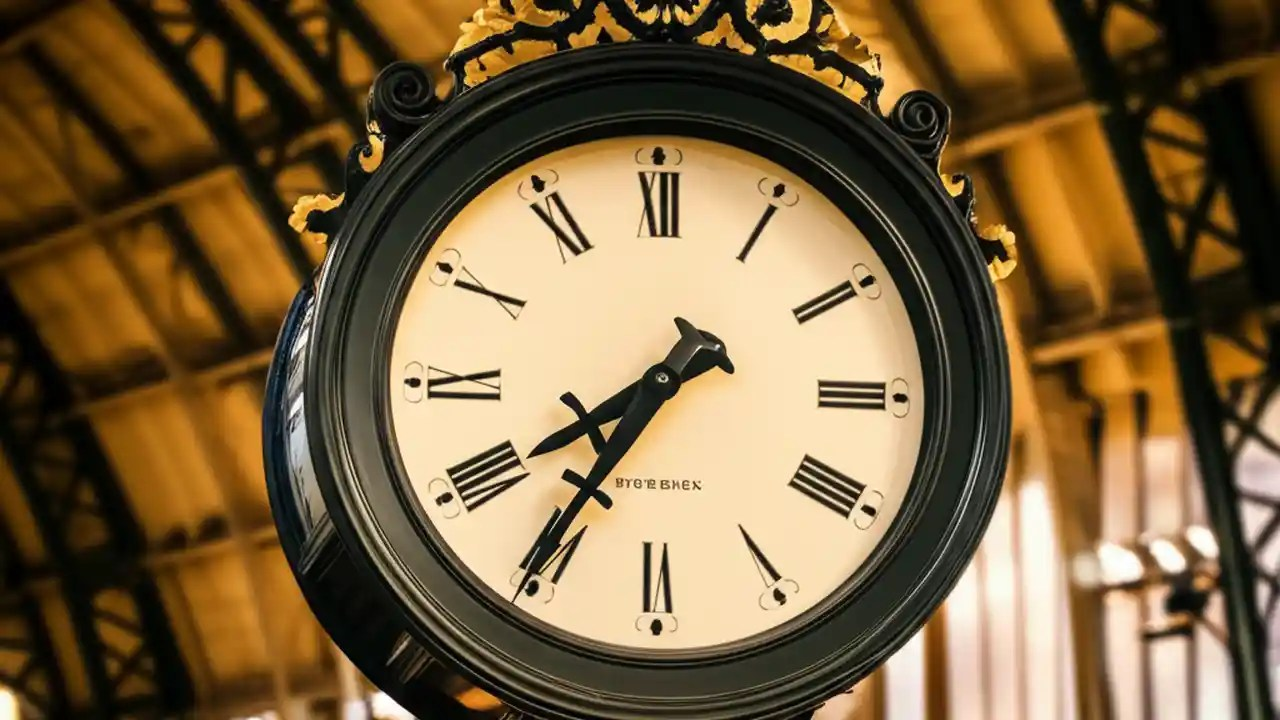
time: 7:35
